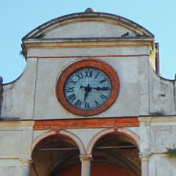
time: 6:15
